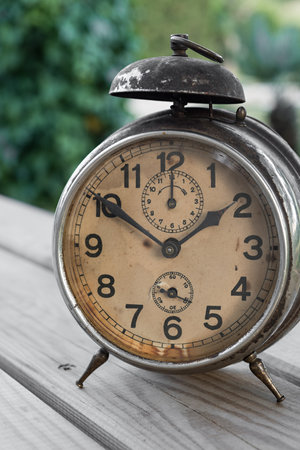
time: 1:50
